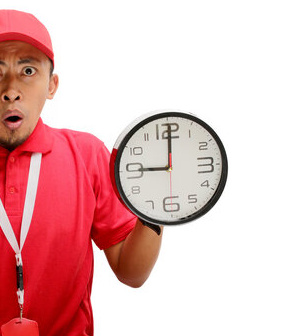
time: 9:00
